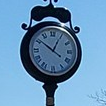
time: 12:51
